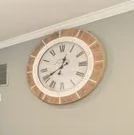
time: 12:40
